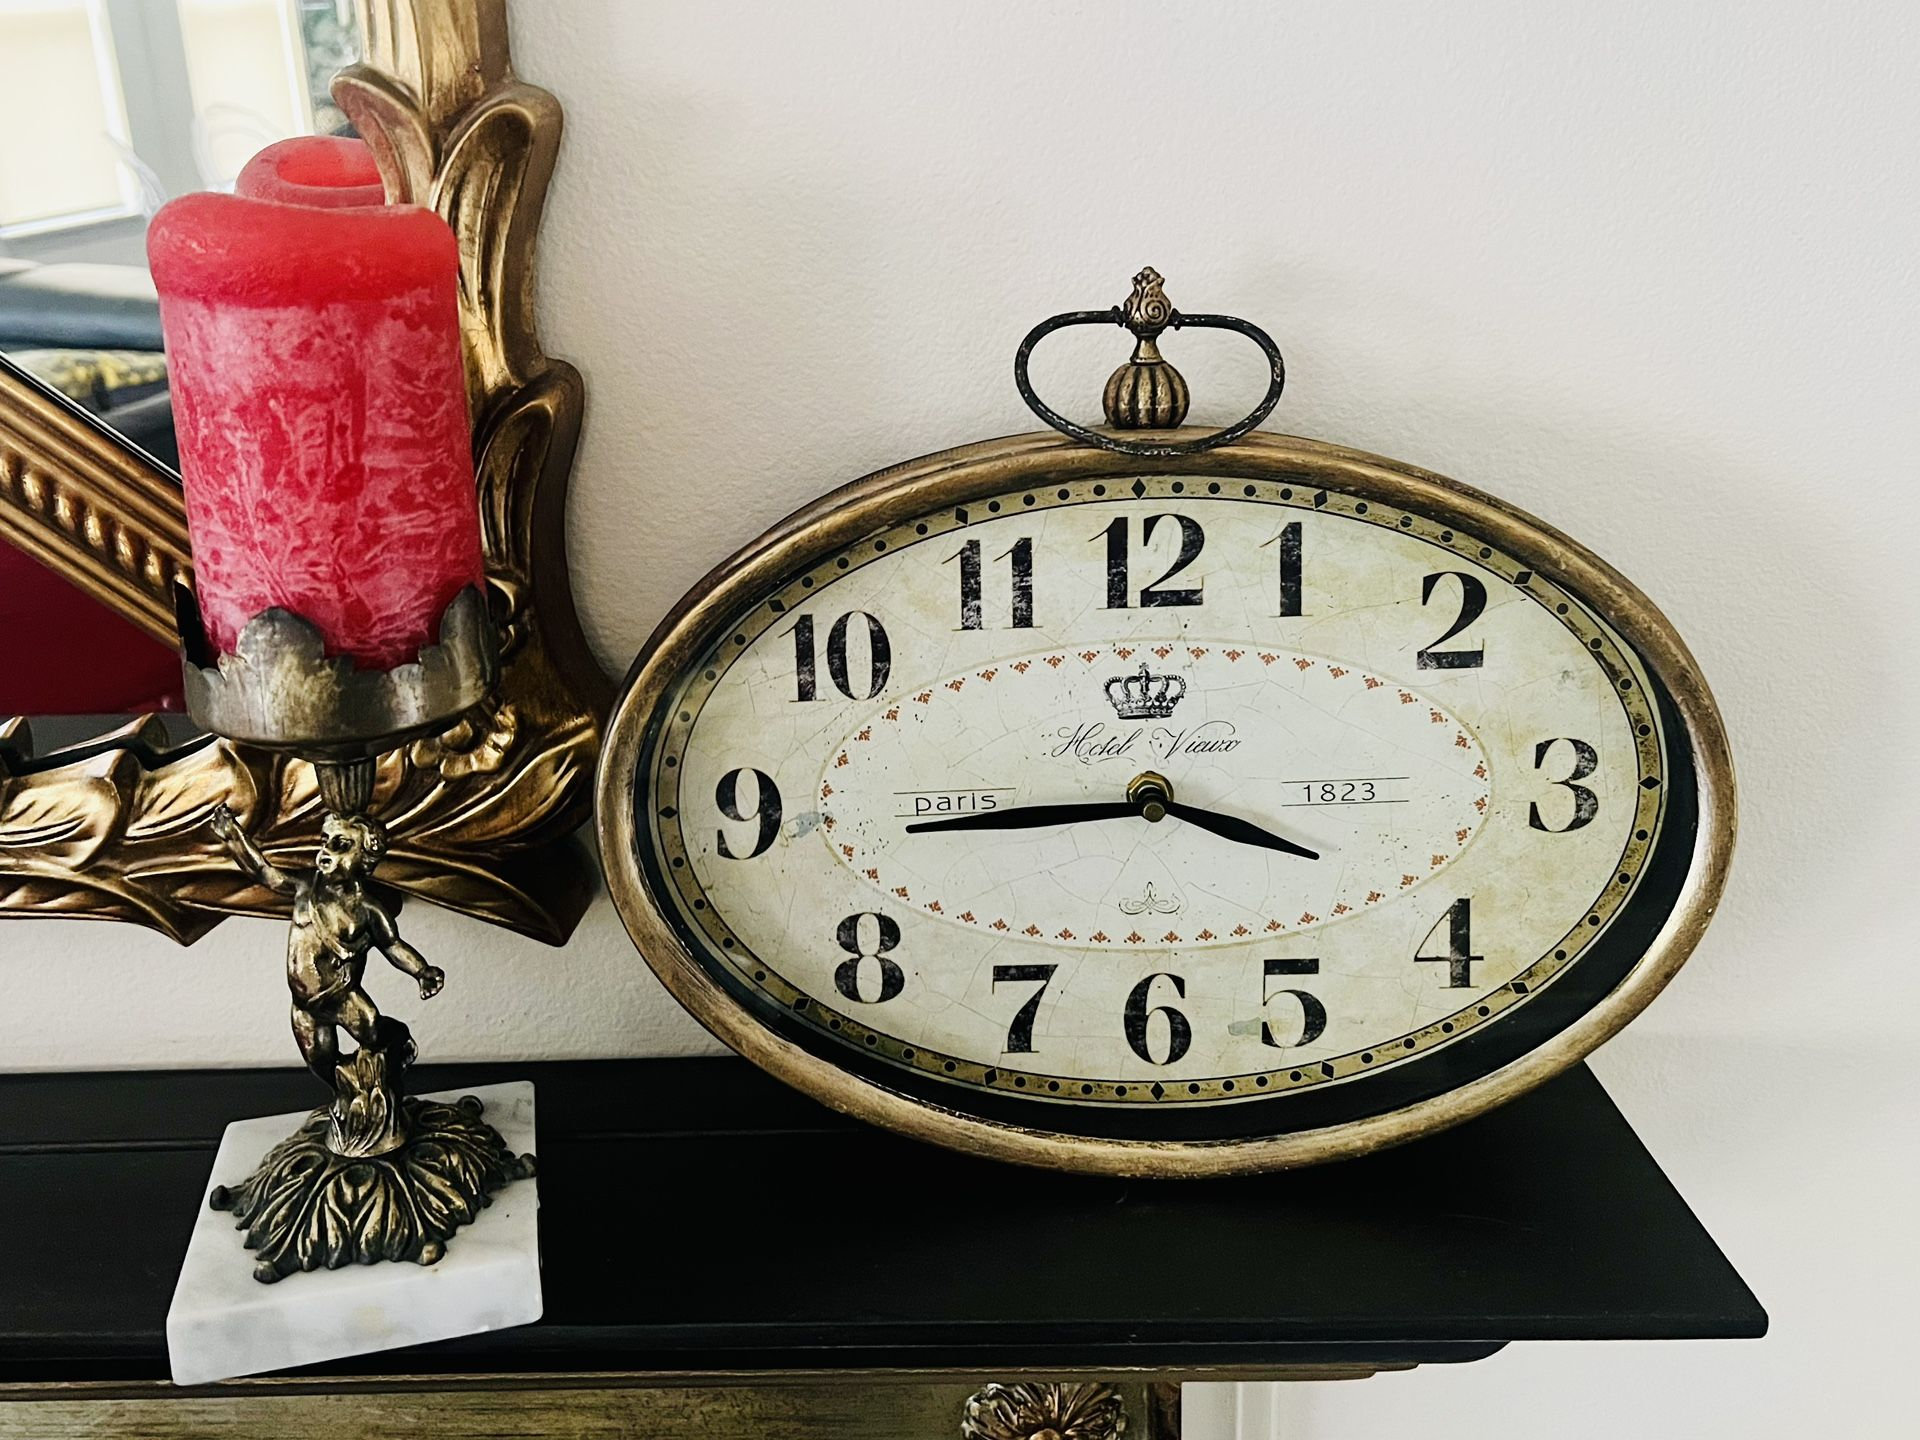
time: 3:44
